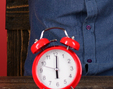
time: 6:00
